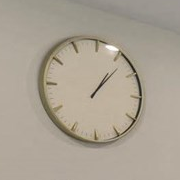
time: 1:07
